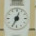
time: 12:34
